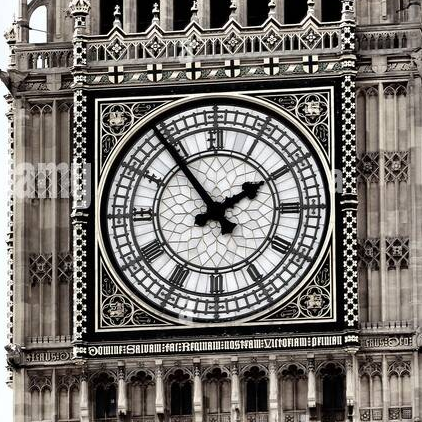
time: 1:53
